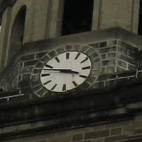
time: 3:47
